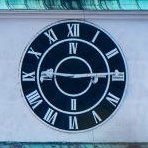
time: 9:14
